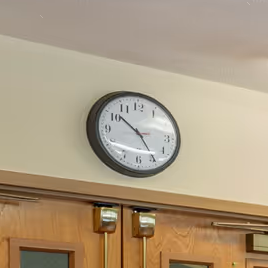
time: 10:24
